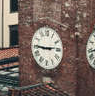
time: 2:45
